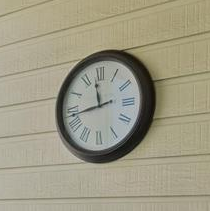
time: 11:42
